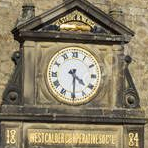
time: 4:29
